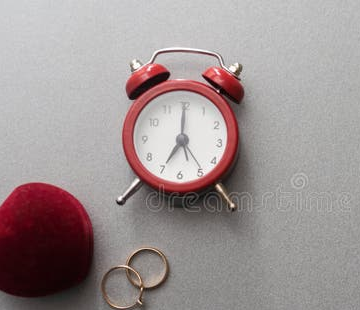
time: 7:00
